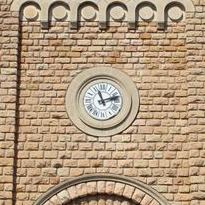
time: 11:12
